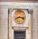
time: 8:16
